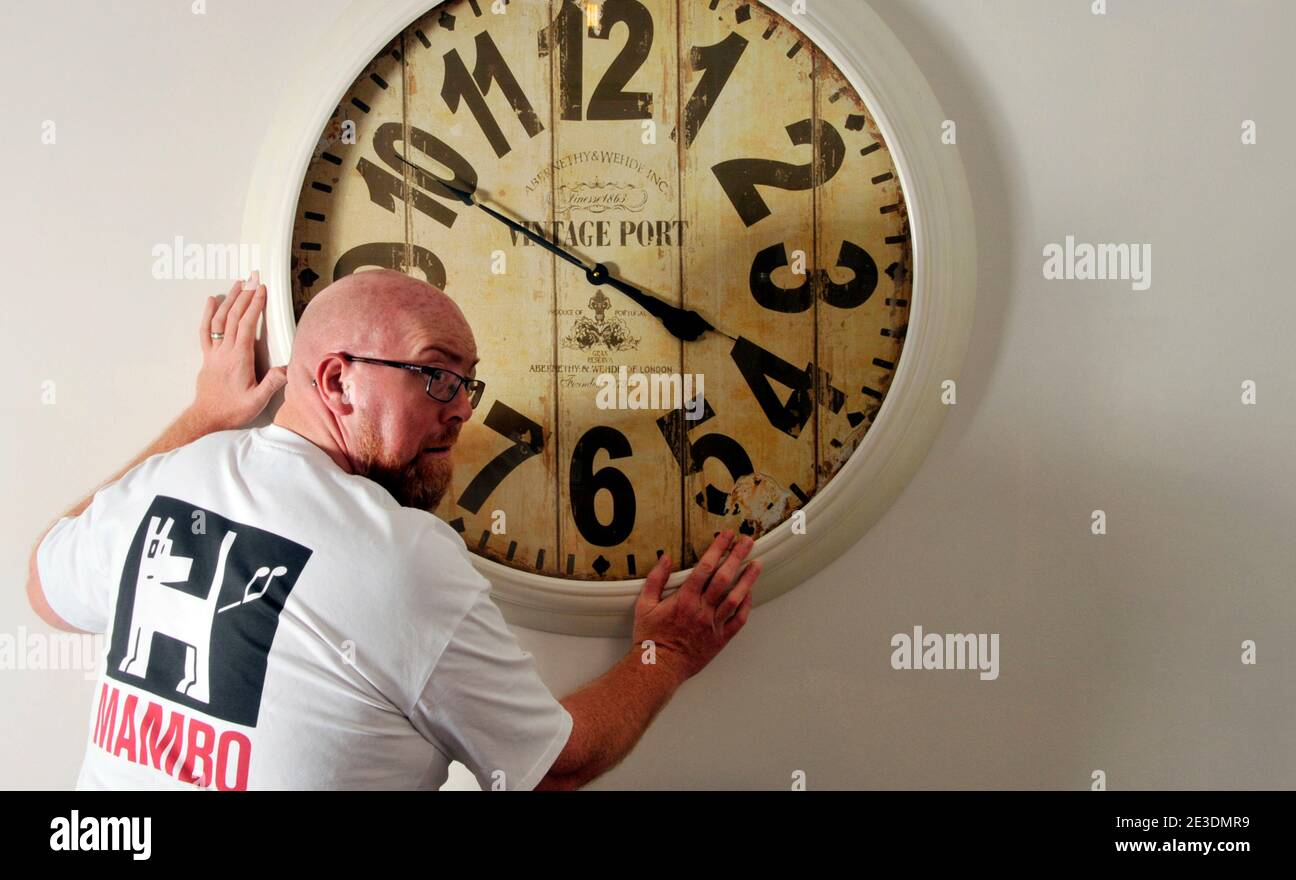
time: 3:50
